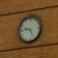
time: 9:26
